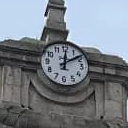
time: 12:09
